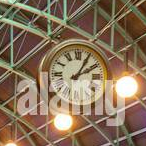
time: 2:05
